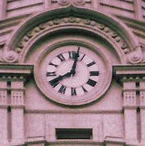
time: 8:02
